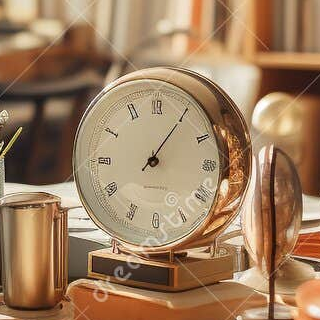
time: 1:05
